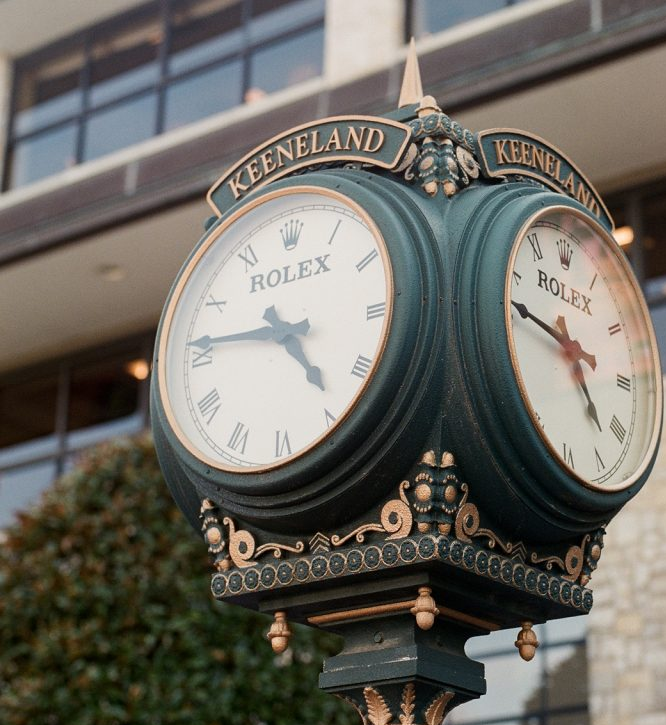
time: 4:46
